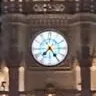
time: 7:24
